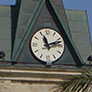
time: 11:12
